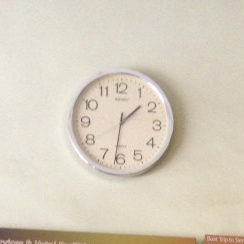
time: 1:31
